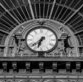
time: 6:38
